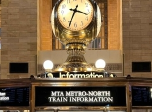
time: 3:34
